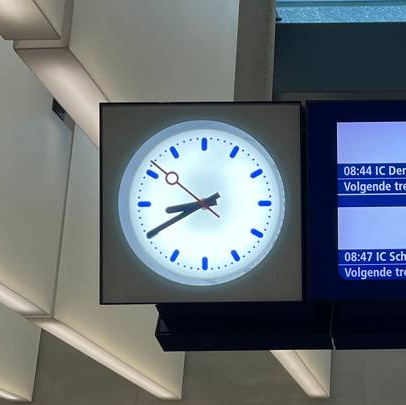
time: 8:40
